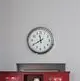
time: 11:40
